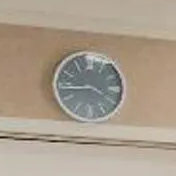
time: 3:43
